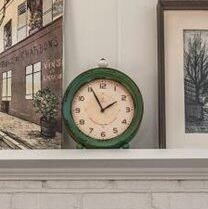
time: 1:55
